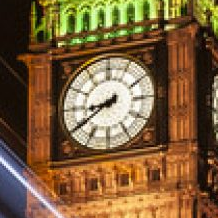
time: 8:39
